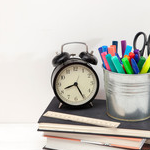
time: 8:25
